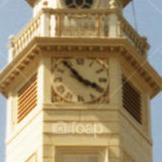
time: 3:53
